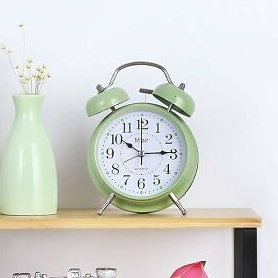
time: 10:14
